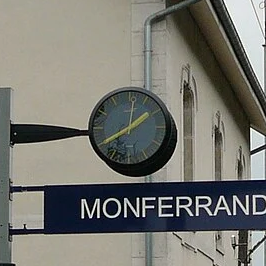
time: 1:39
